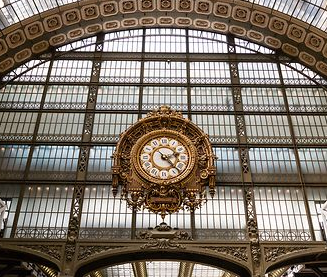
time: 2:22
